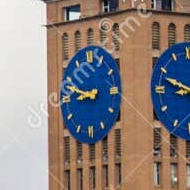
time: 8:47
